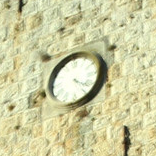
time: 4:21
